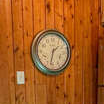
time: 1:32
